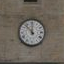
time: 11:52
